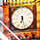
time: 6:27
